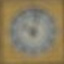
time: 10:02
